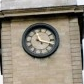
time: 11:18
